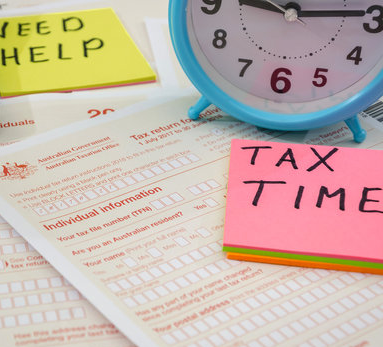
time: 9:14
